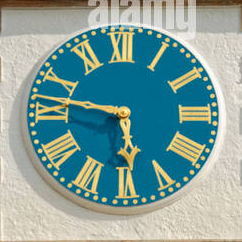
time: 5:47
